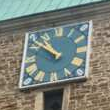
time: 10:51
